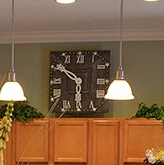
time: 5:50
